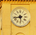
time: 5:42
